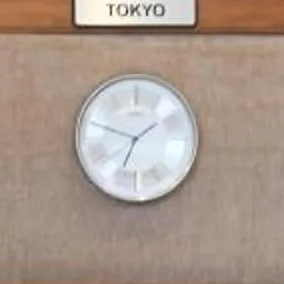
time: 1:47
